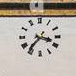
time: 3:36
